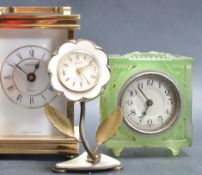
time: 6:53
